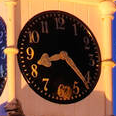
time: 8:21
